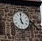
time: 4:59
